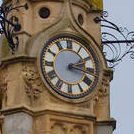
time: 2:17
